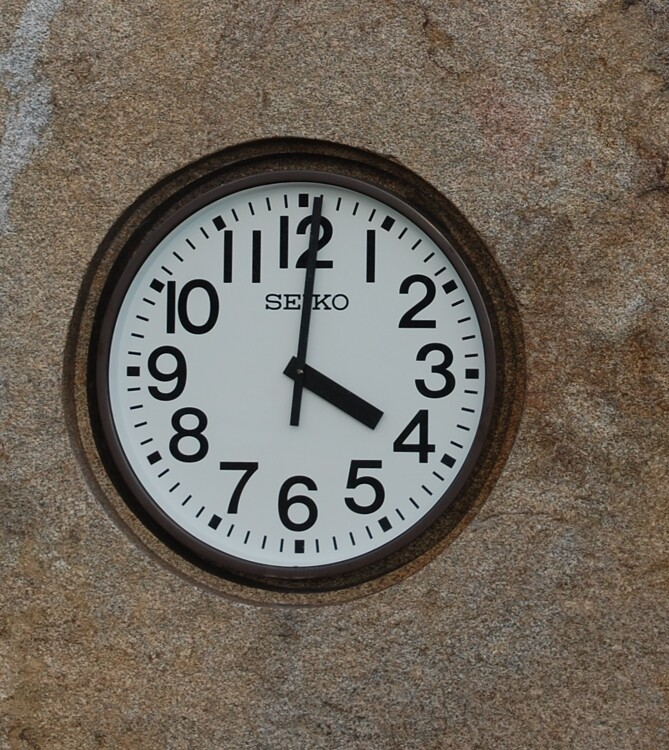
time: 4:00
